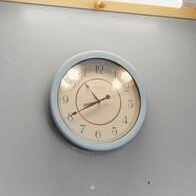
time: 10:40
